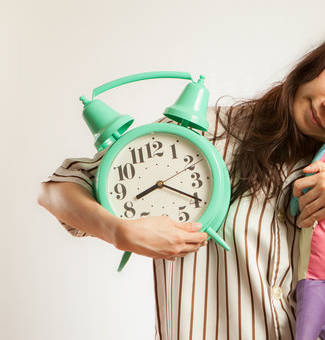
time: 8:19
